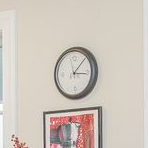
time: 3:07
